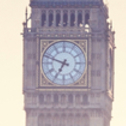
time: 6:48
